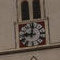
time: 9:01
